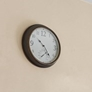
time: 10:23
